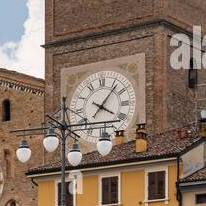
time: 4:06
